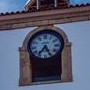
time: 7:25
